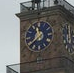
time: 11:38
